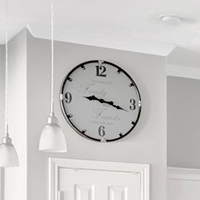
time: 9:17
